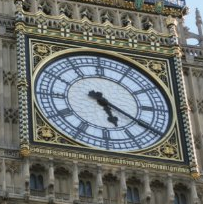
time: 5:20
